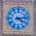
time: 4:13
